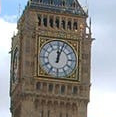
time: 12:03
